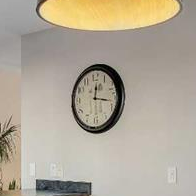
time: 12:17
